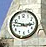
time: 2:48
